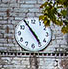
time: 4:54
